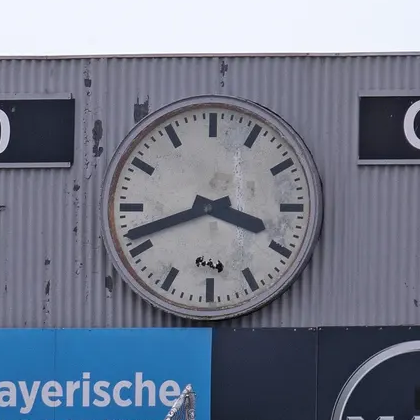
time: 3:42
